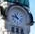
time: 10:47
